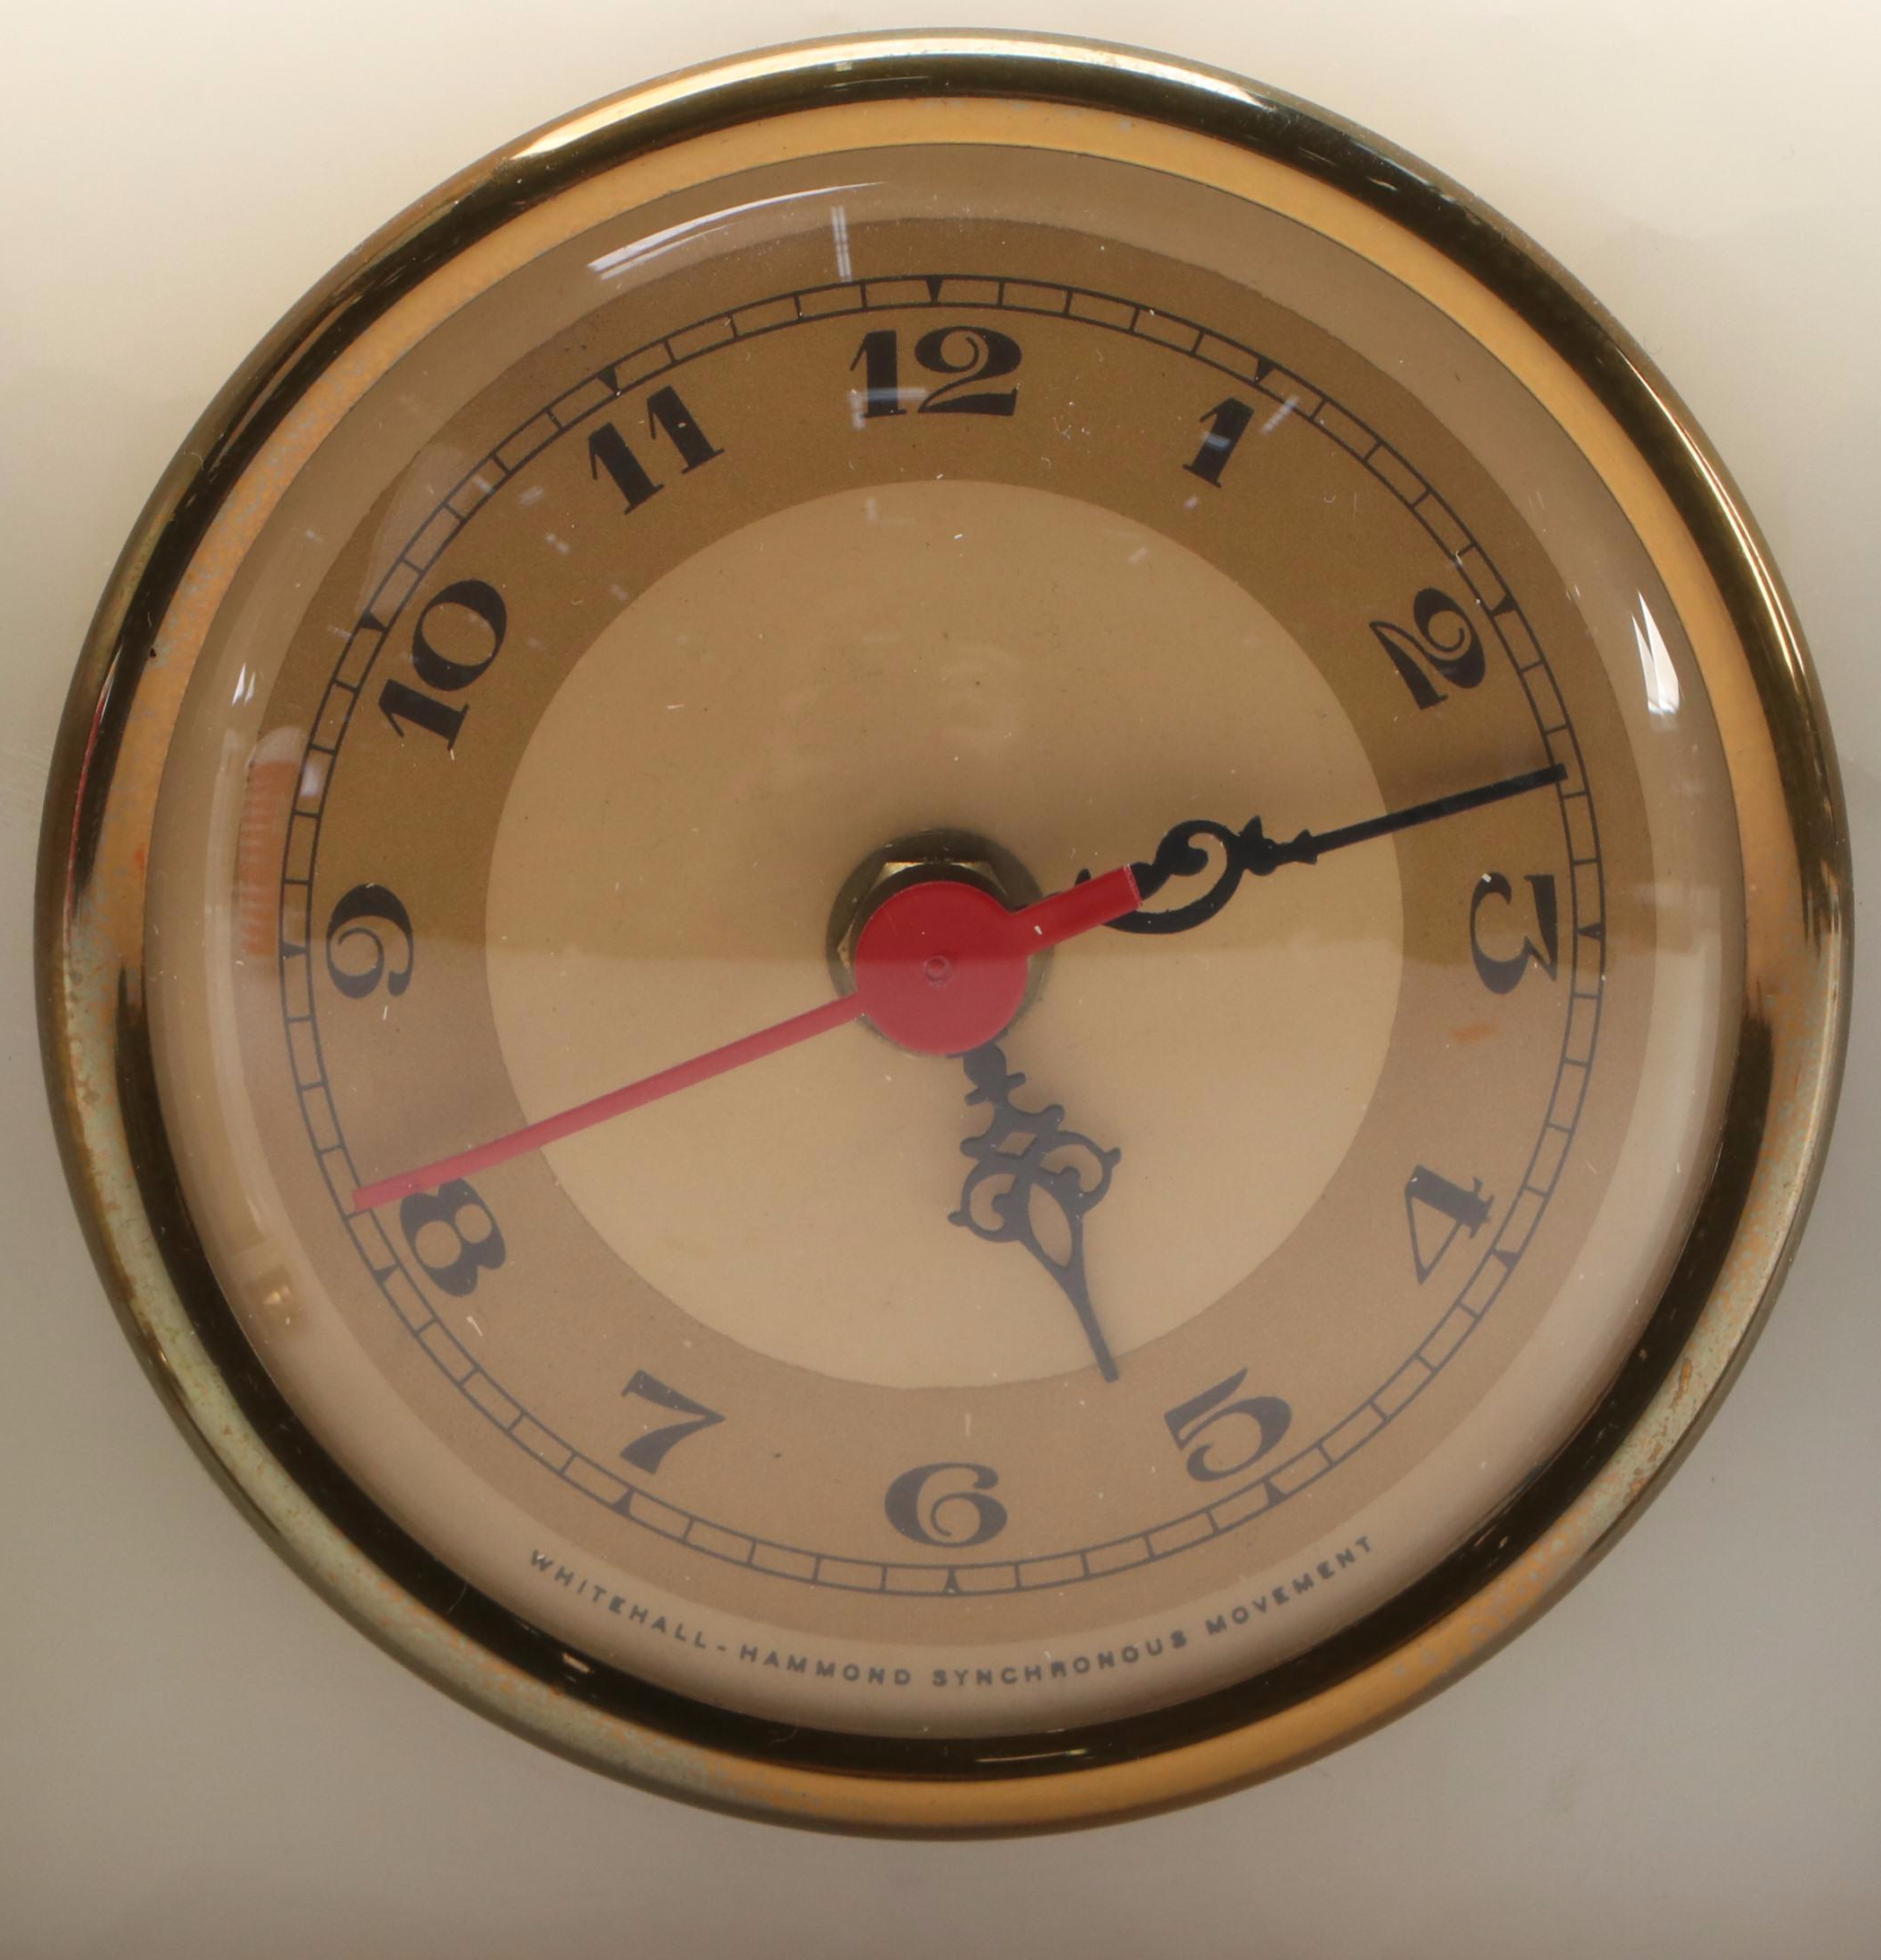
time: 5:12
